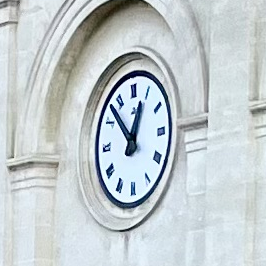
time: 12:52
